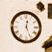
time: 12:26
